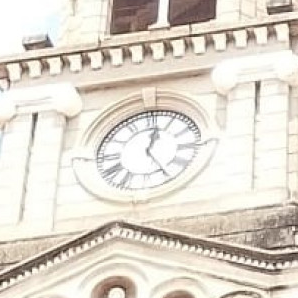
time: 12:24
